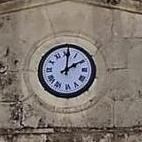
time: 2:00
